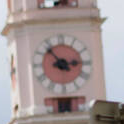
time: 2:53
